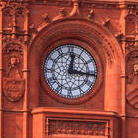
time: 12:16
